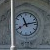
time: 11:13
